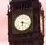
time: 6:17
